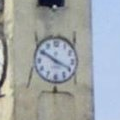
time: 3:50
